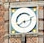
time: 2:38
